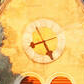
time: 8:25
